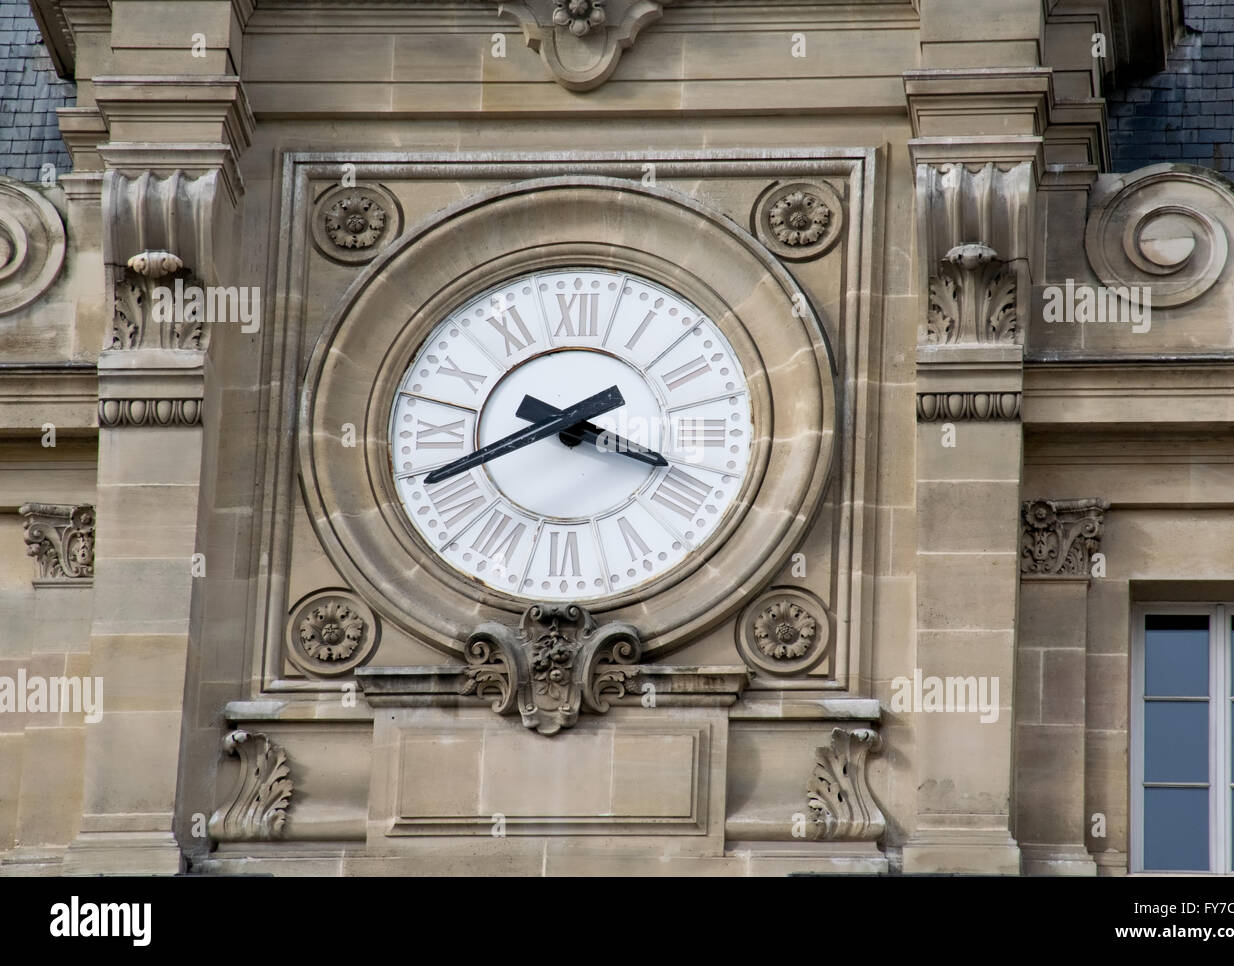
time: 3:40
